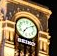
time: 7:09
